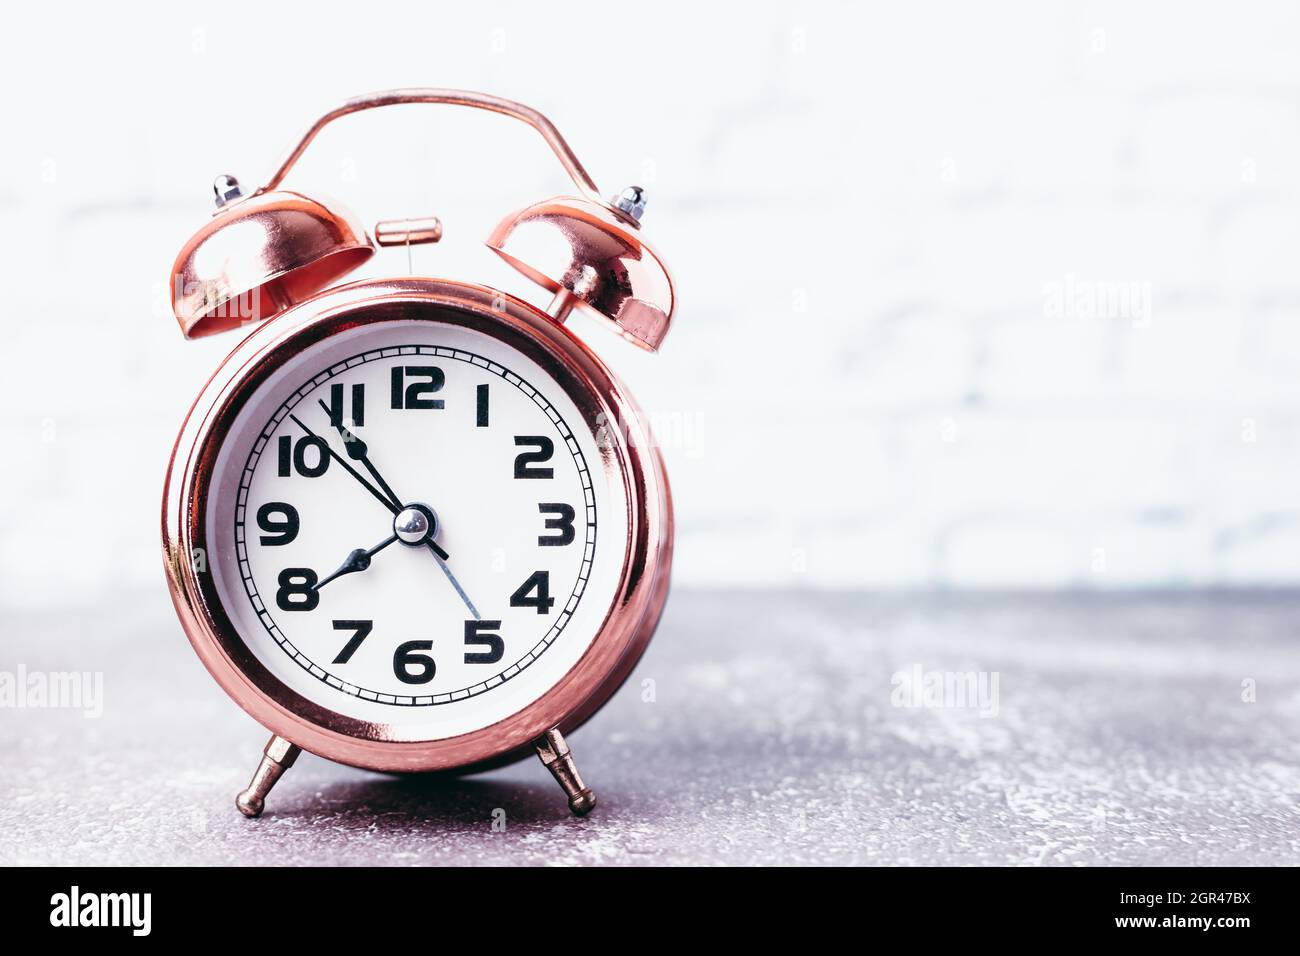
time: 7:53
